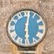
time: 6:01
